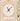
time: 11:07
